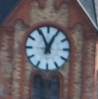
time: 12:55
